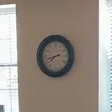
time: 8:38
